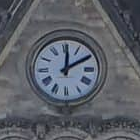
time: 12:10
